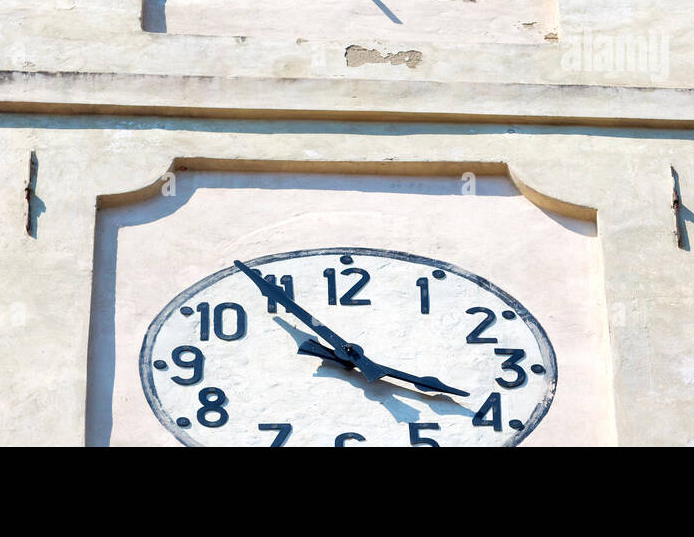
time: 3:54
